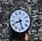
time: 8:27
